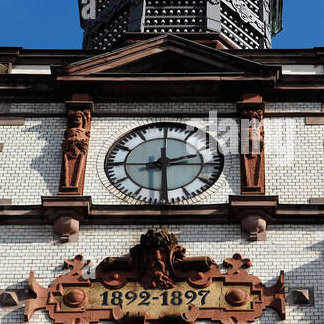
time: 2:29
